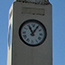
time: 11:05
